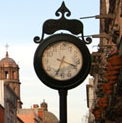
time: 3:33
